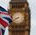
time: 8:40
